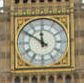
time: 11:50
